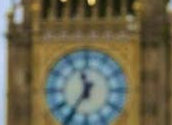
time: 11:35
